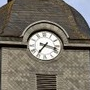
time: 7:17
